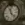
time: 11:22
